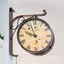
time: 9:57
